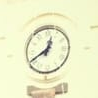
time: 12:40
